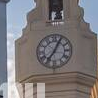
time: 7:04
